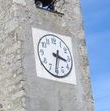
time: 3:31
